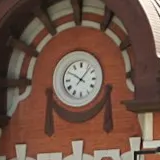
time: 10:06
